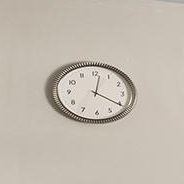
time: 12:20
